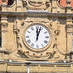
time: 12:03
